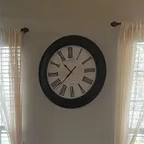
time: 10:37
